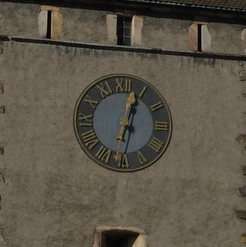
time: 12:32
